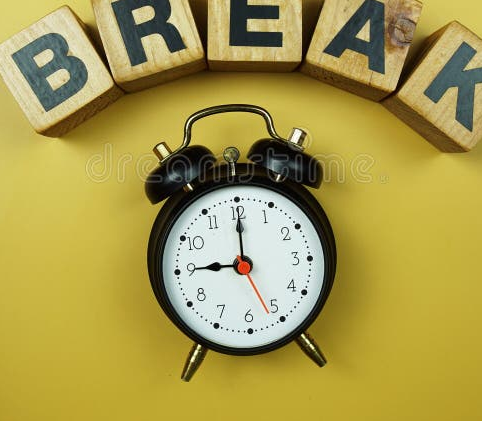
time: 9:00
